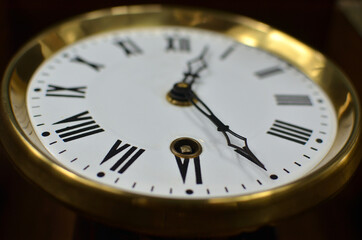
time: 5:03
